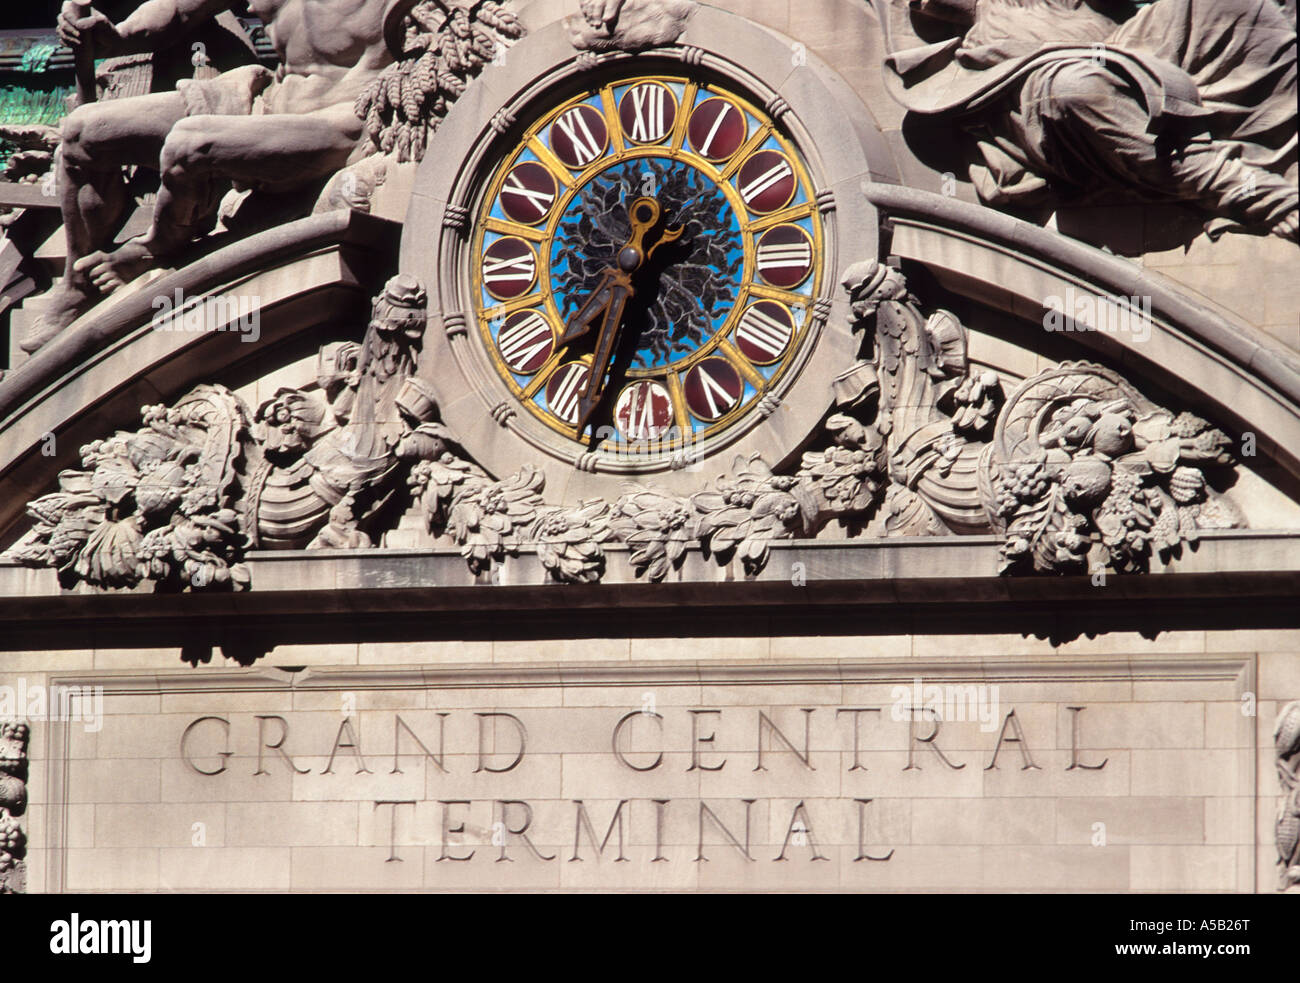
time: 12:32
